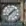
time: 1:37
